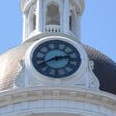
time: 2:40
